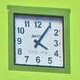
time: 4:05
